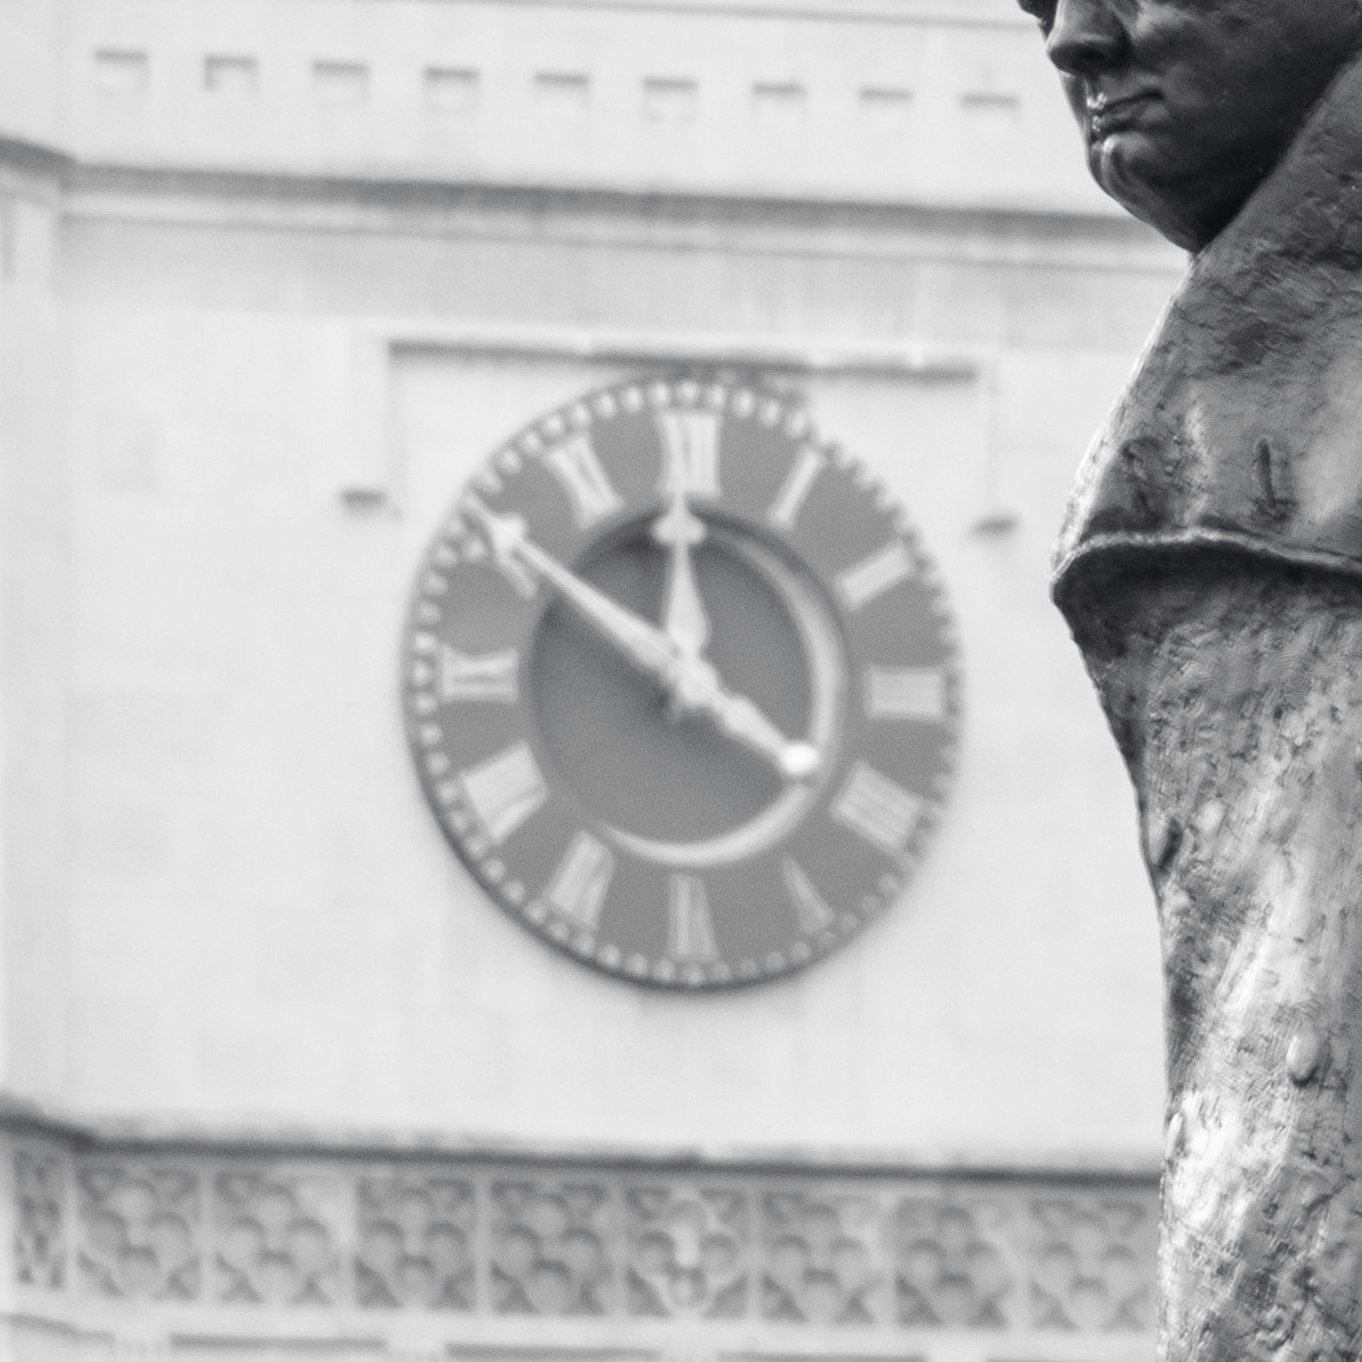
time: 11:50
